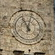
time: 11:02
